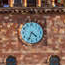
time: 4:34
